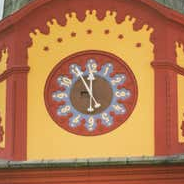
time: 11:55
